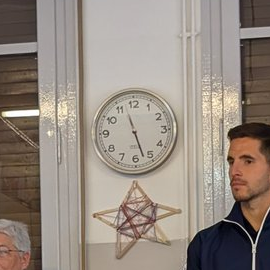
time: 11:27
